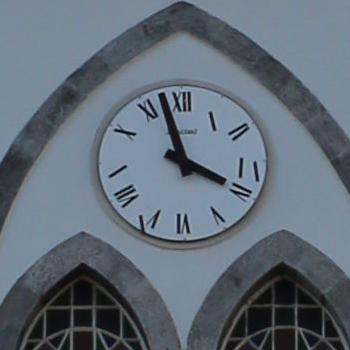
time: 3:57
